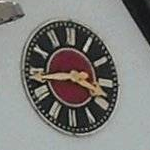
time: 3:43
